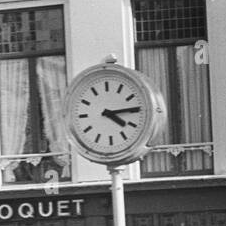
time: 4:14
